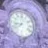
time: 8:38
